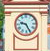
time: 9:26
